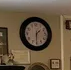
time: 1:30
